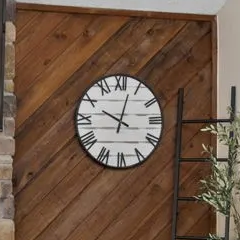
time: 10:02
